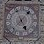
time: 5:06
